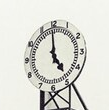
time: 4:59
